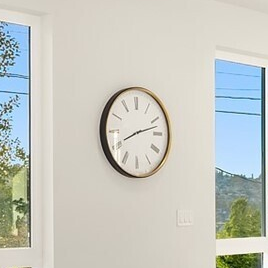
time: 8:12
